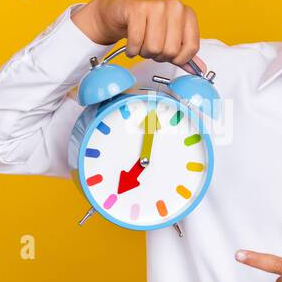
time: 7:00
